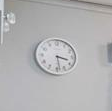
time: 3:28
